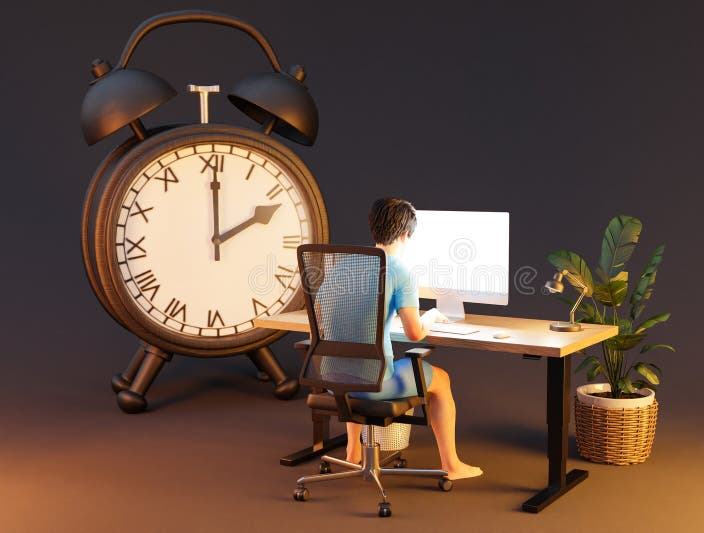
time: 2:01
